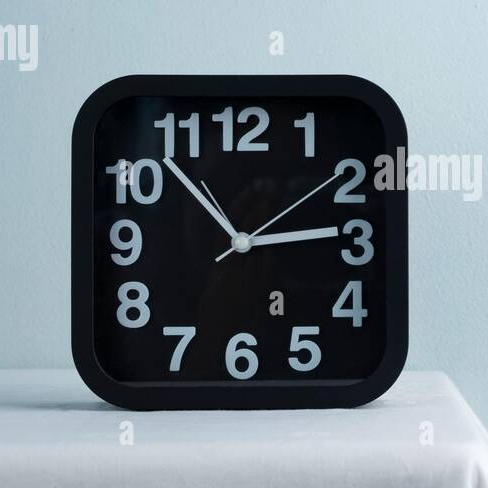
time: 2:52
